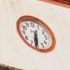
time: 6:32
